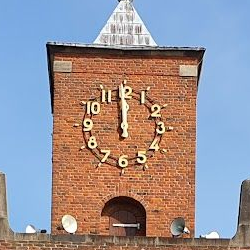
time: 11:59
